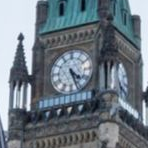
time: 4:26
